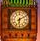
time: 6:10
